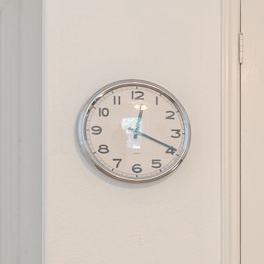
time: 12:19
